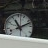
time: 11:11
